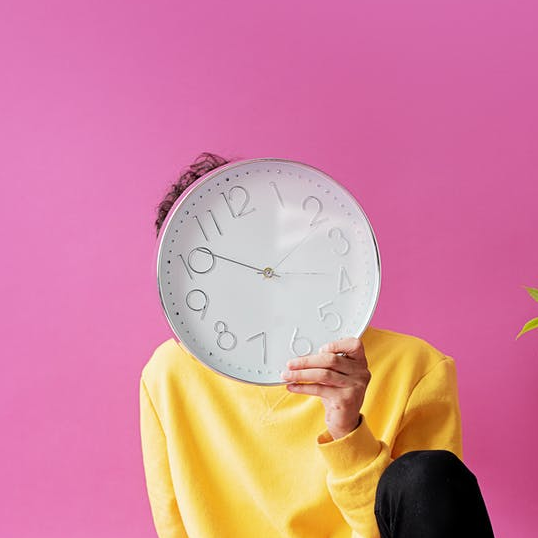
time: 10:12
